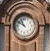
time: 10:50
